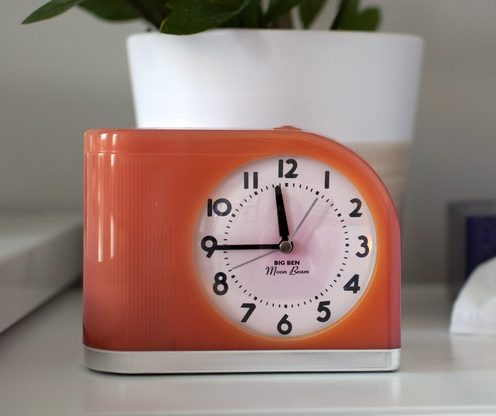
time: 11:44
